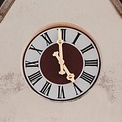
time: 4:59
